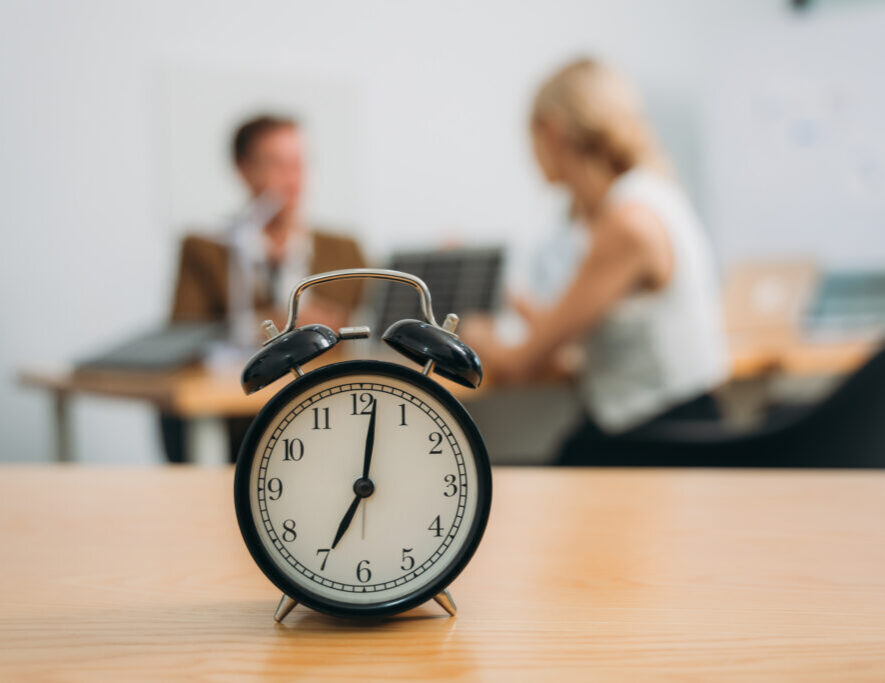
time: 7:01
